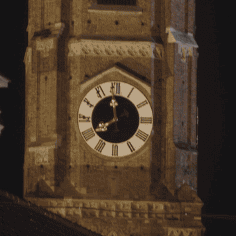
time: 7:59
